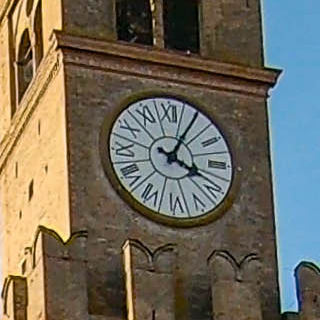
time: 4:04
